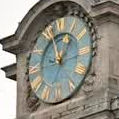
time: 12:57
